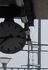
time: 2:38
